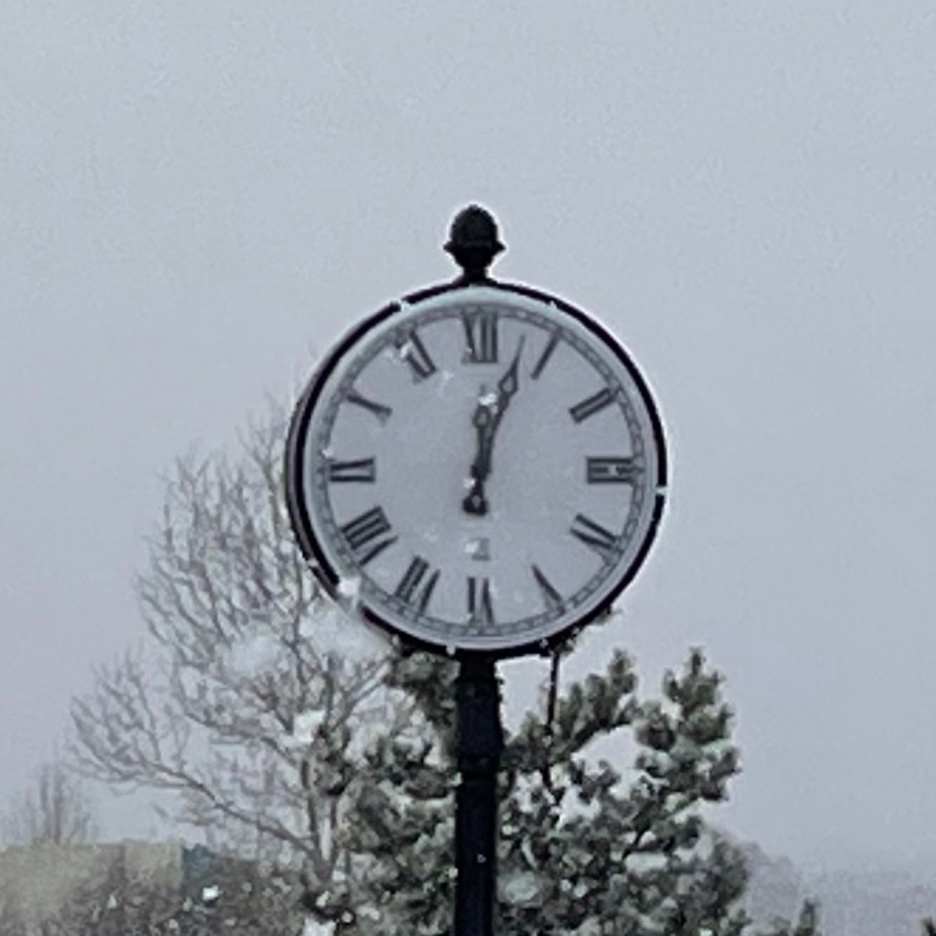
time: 12:02
